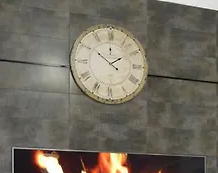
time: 1:50
